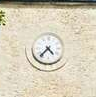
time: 4:36
